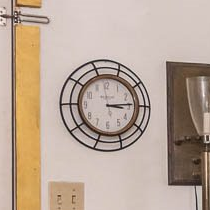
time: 3:14
